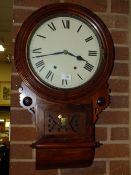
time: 3:42
